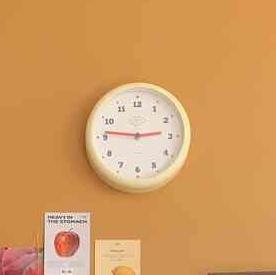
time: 2:46
